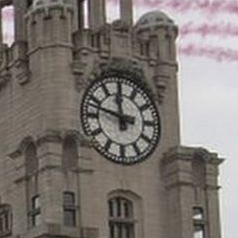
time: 11:47
